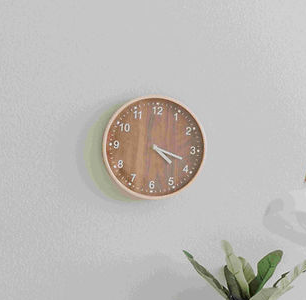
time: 4:18
